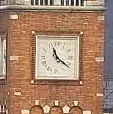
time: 11:21
